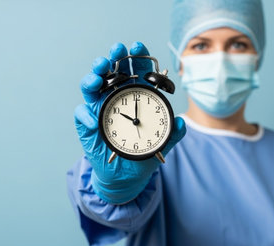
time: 10:00
